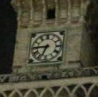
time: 6:44
